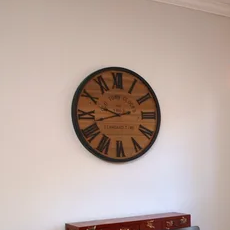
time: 9:42
